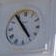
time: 4:54
